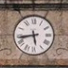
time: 5:43
